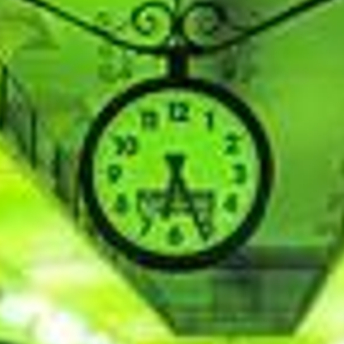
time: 6:25
